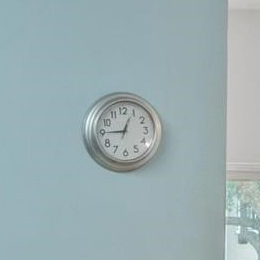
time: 12:45
